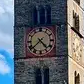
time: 4:38
